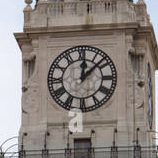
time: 12:07
